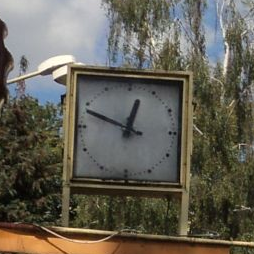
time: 12:48
